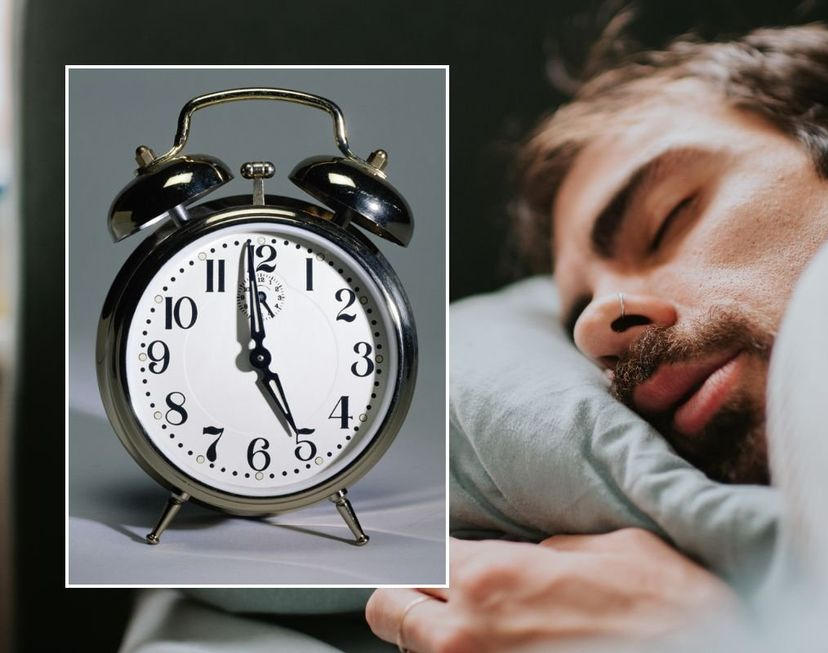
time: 4:59
